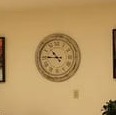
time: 10:45
